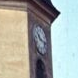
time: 10:17
